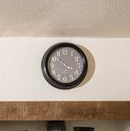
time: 3:51
